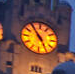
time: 4:54
